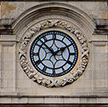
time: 1:52
